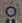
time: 4:12
